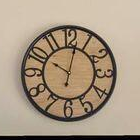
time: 10:02
